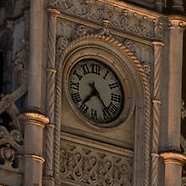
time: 7:23
